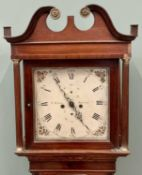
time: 4:54
